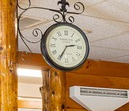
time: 2:34
